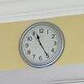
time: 11:24
